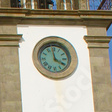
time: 3:58
